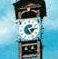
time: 5:14
